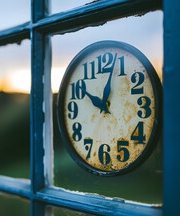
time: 10:02
